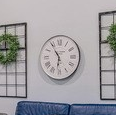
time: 5:54
